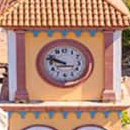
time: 9:47
